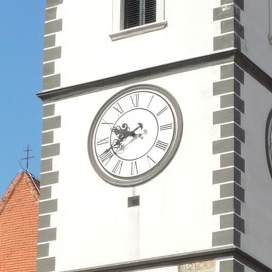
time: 9:41
